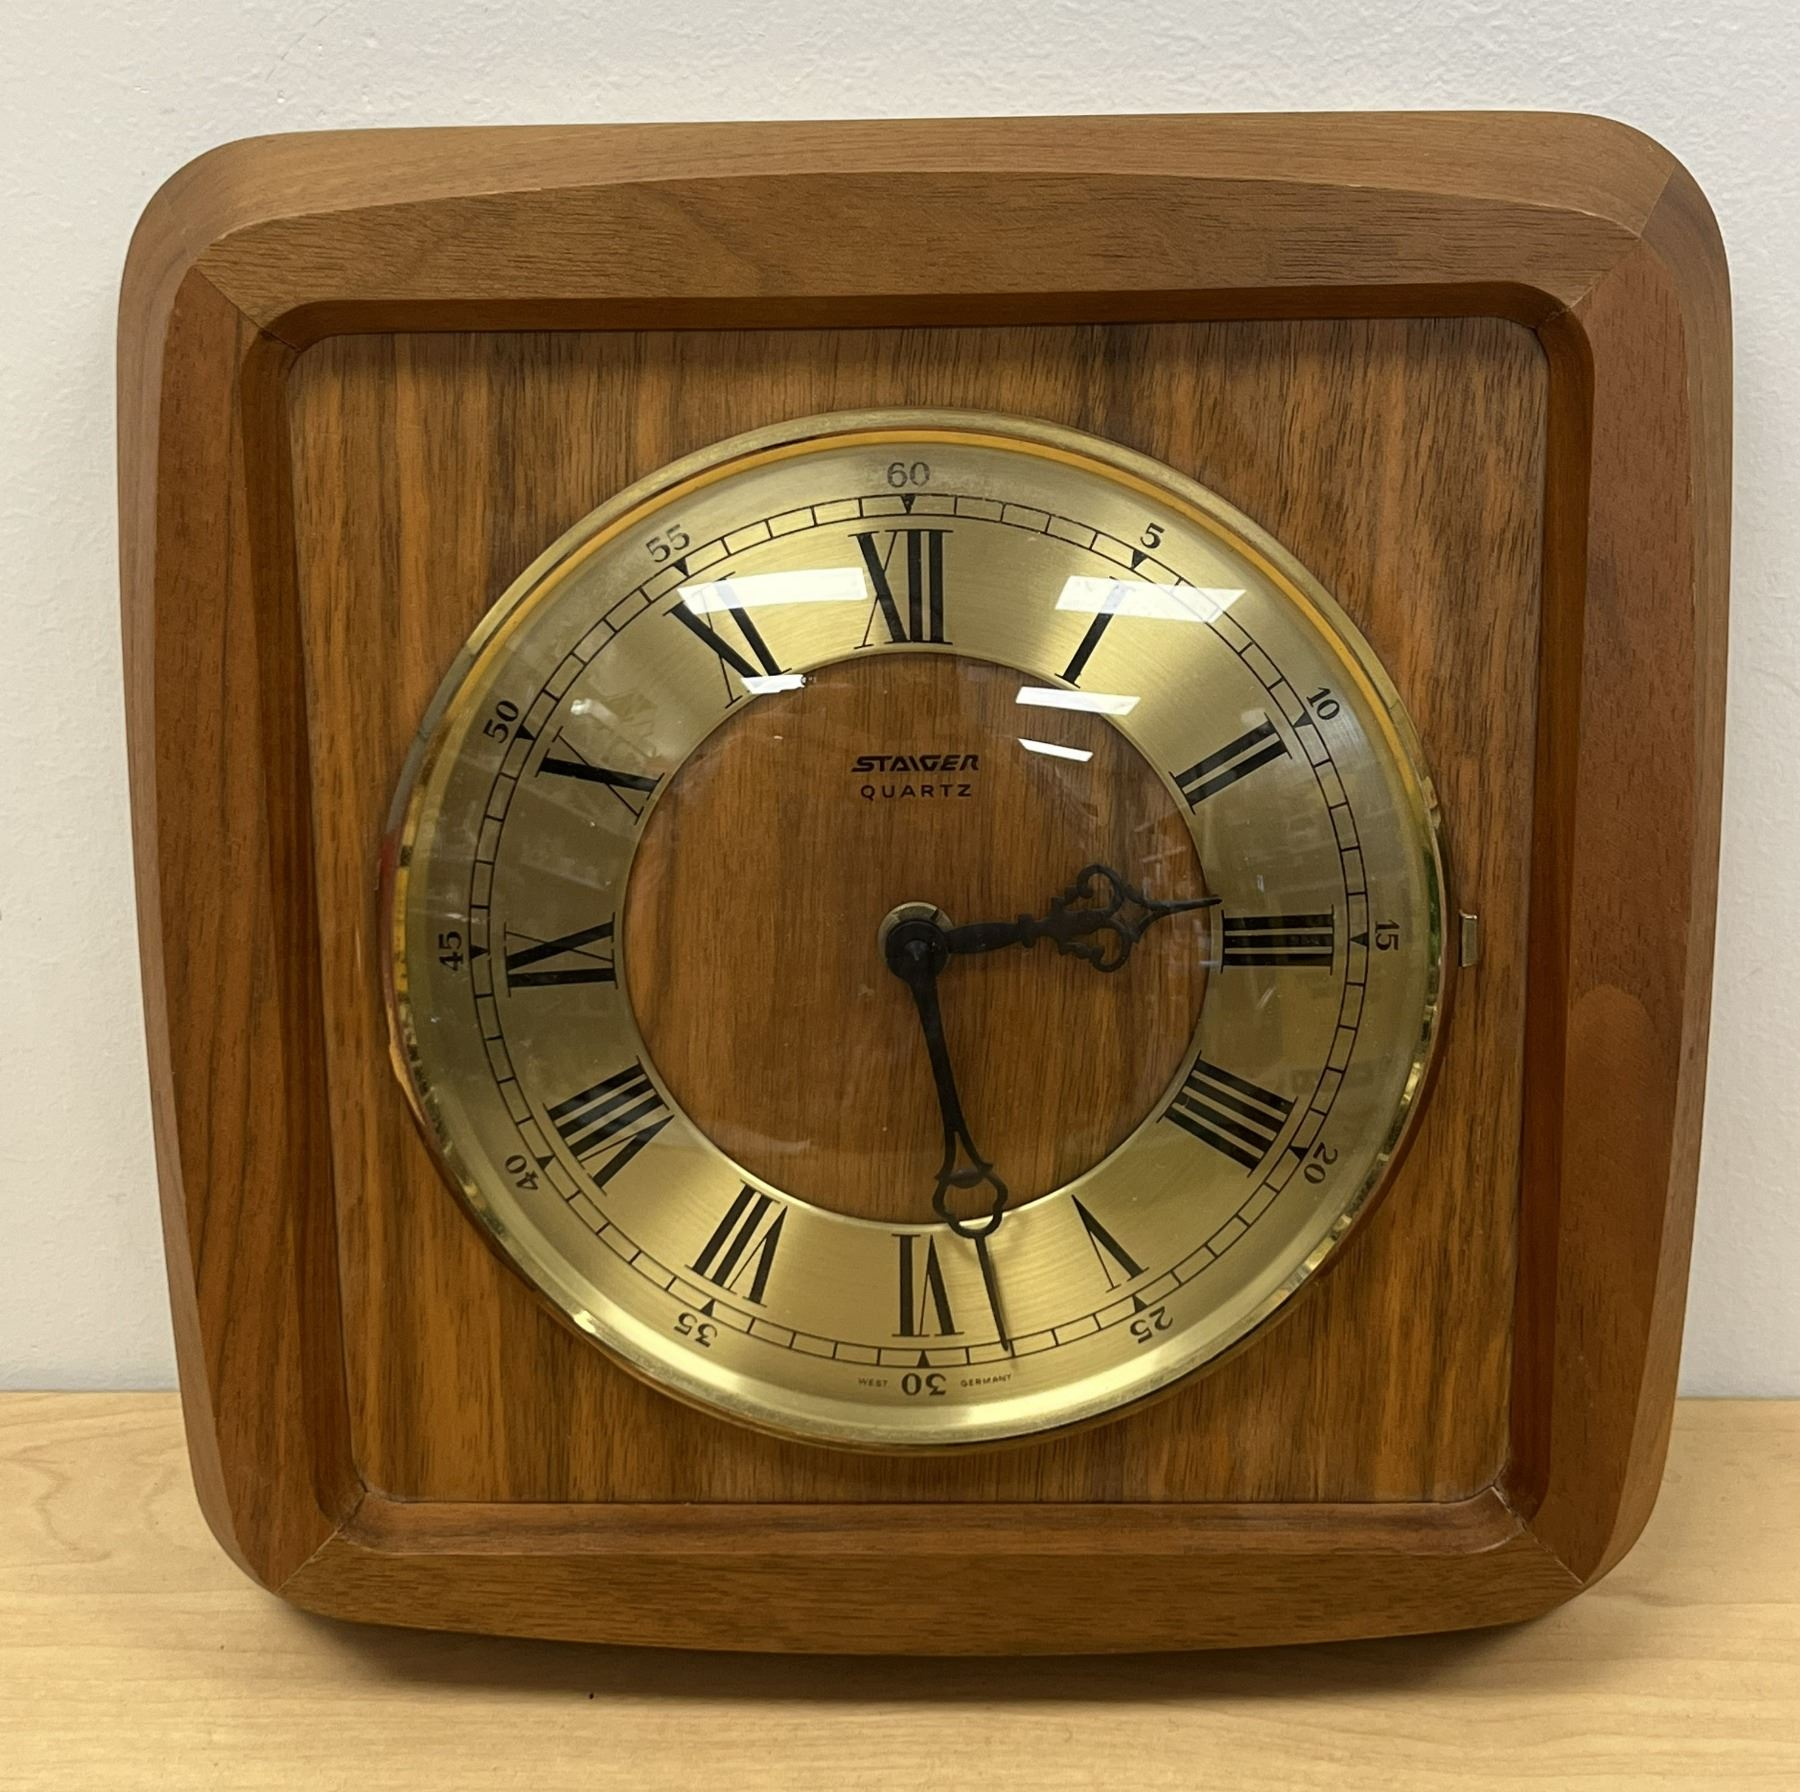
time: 2:28
